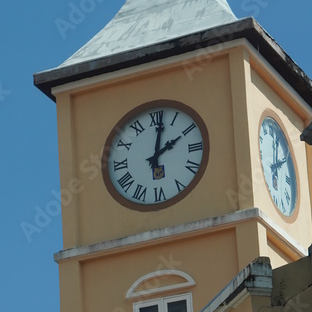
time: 2:01
